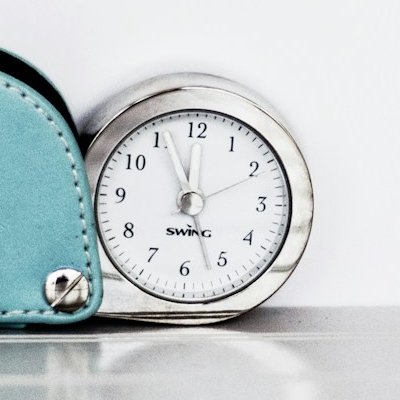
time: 11:56
